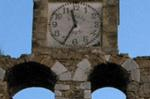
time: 11:34
